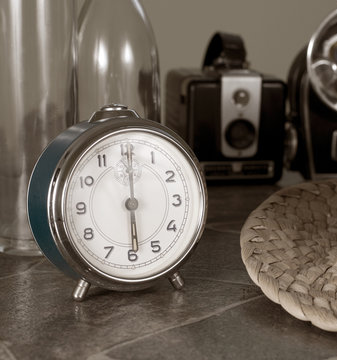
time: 6:00
